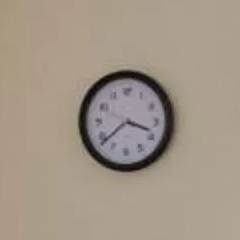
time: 3:38
